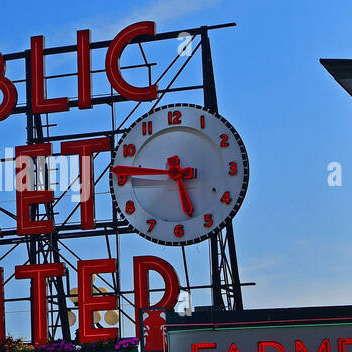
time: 5:45
